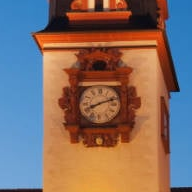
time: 8:12
